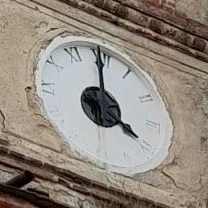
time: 3:59
